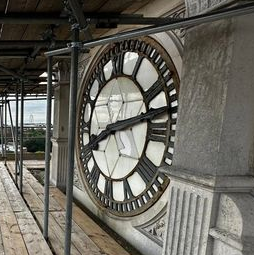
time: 8:12
